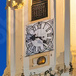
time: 9:22
